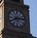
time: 8:13
